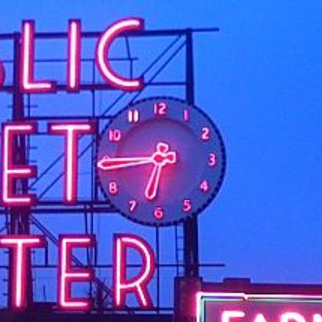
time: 6:44
